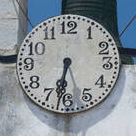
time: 6:31
